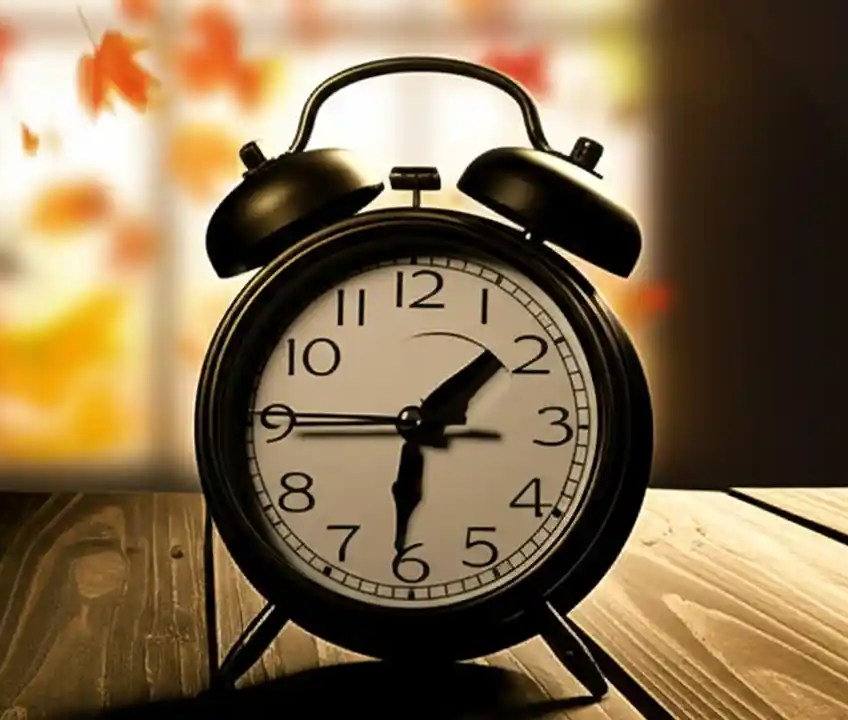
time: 1:31
